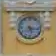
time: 5:15
